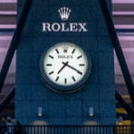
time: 7:19
